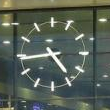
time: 4:44
